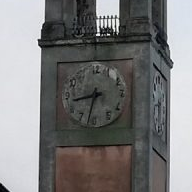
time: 8:32
